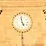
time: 4:57
